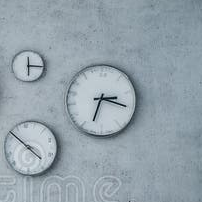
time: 2:32
